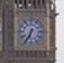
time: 6:34
